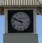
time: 9:48
